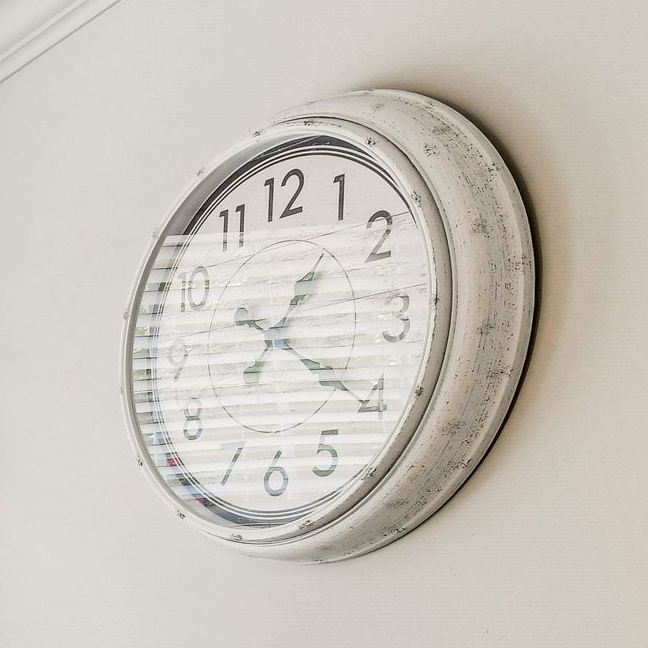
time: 1:20
